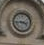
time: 3:43
